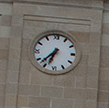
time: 6:37
